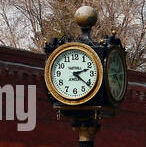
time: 2:21
